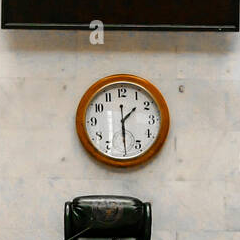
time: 1:29
